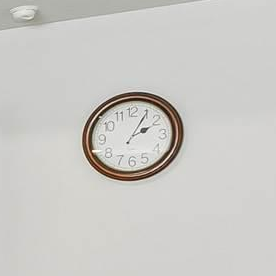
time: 2:05
